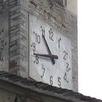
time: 10:42
